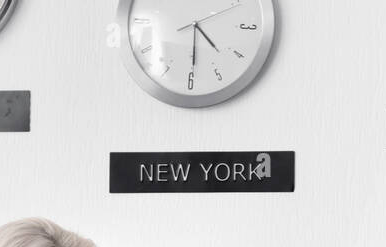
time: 4:29
